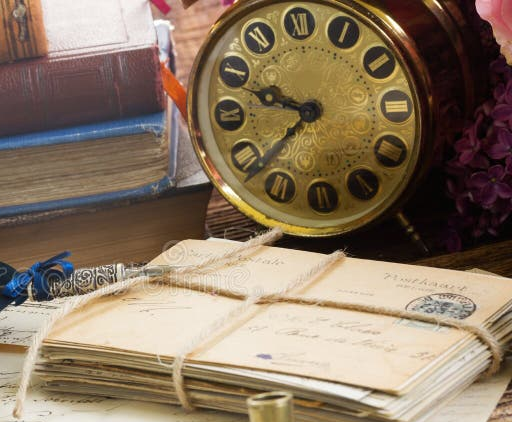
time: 9:38
